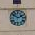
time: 1:50
